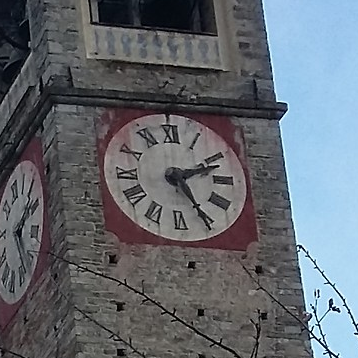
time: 2:24
